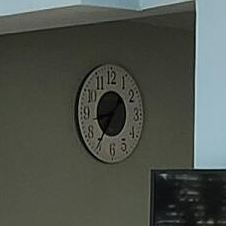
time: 8:35
